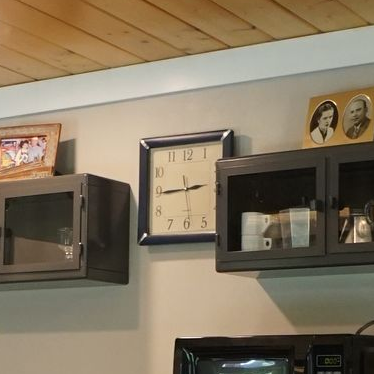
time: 2:44
